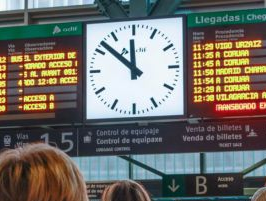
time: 11:51
